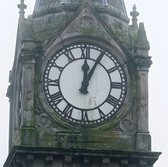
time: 12:04
